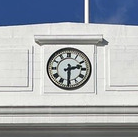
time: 2:30
